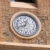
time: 12:40
